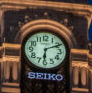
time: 6:10
